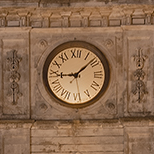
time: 9:08
